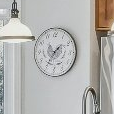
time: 1:35
